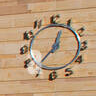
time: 12:36
